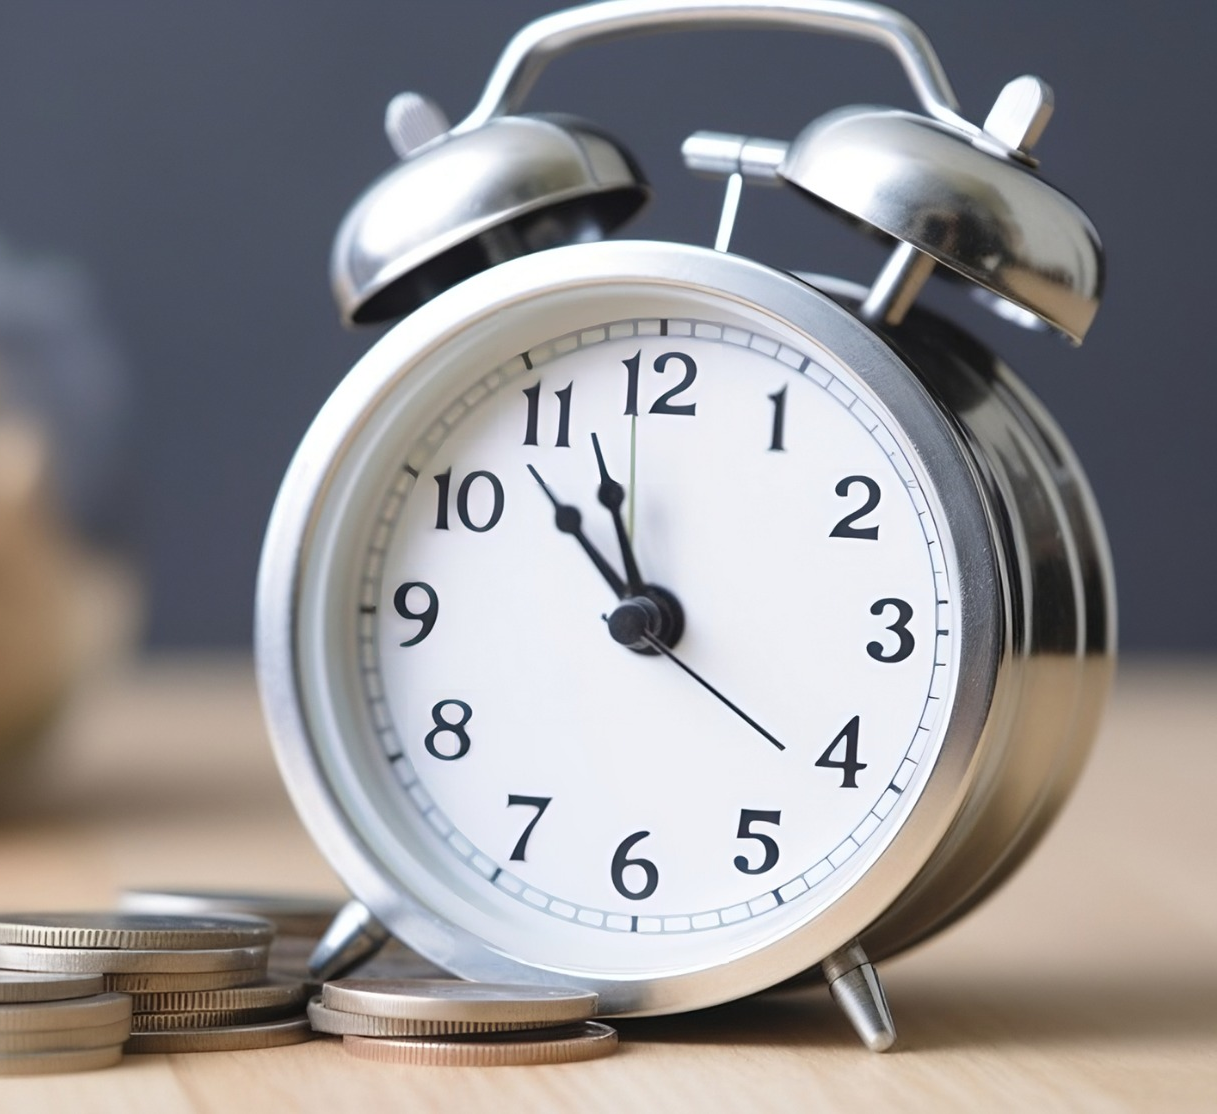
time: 10:57
